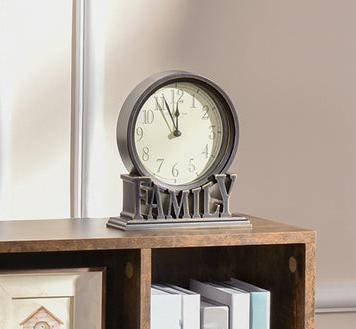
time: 11:55
